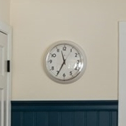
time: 11:34
